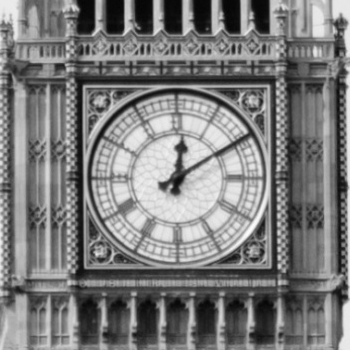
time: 12:09
